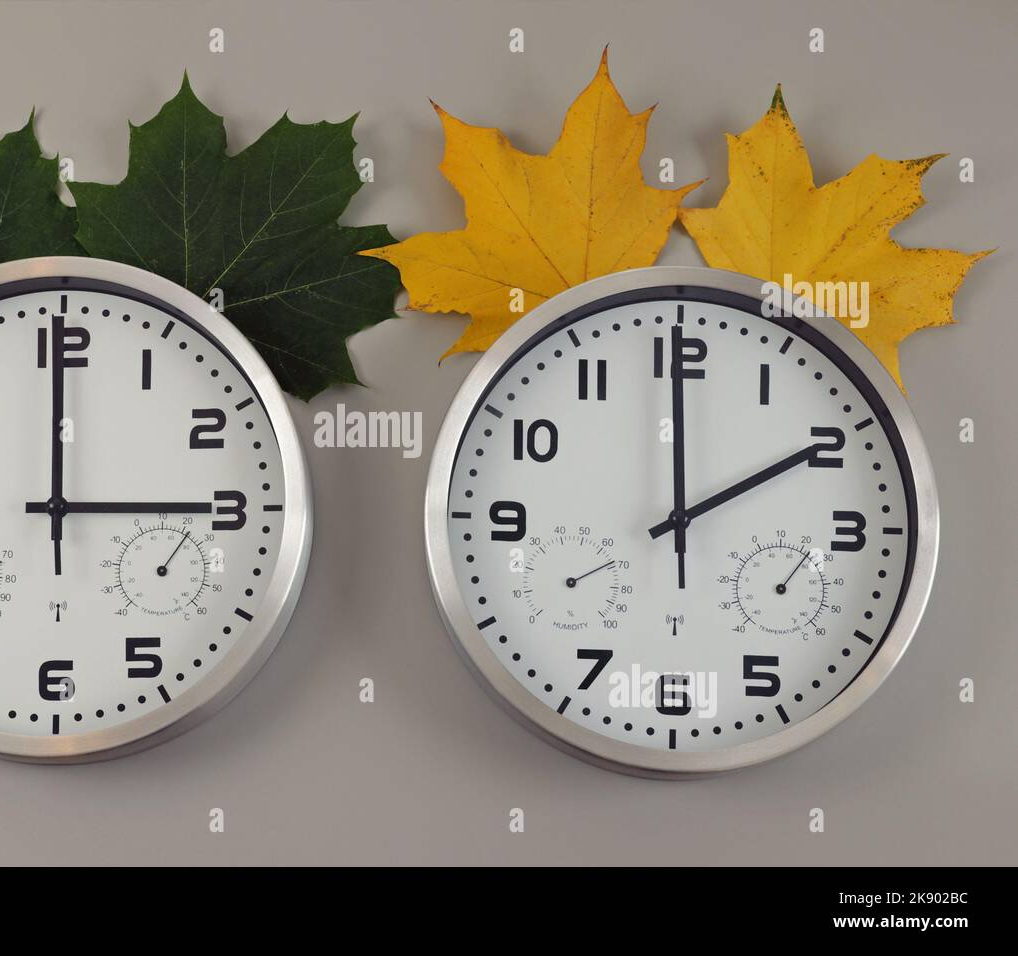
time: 1:59
